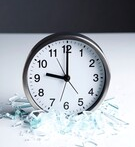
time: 8:59
